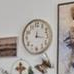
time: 12:16
